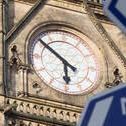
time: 5:51
